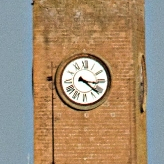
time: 3:21
